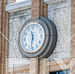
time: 11:32
